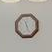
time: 11:26
